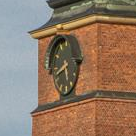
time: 5:40
